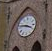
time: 3:46
